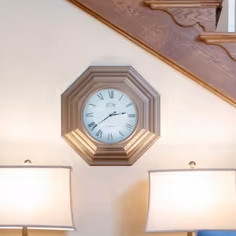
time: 2:38
